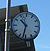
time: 10:32
